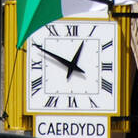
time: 12:49
